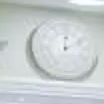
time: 12:11
